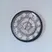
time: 3:02
